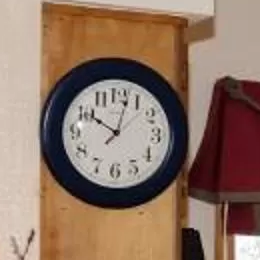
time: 10:02
